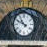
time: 10:49
